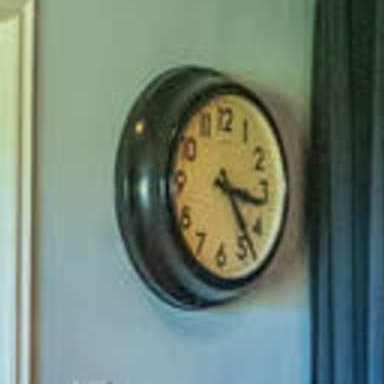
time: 3:23
